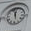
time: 11:57
